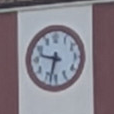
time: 9:32
